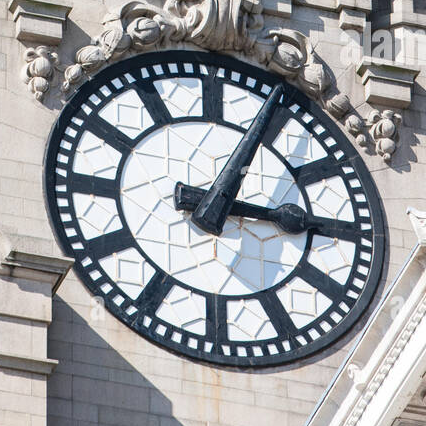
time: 3:04
